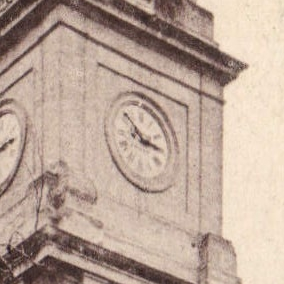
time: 2:52
